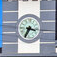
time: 3:34
